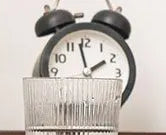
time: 1:57
